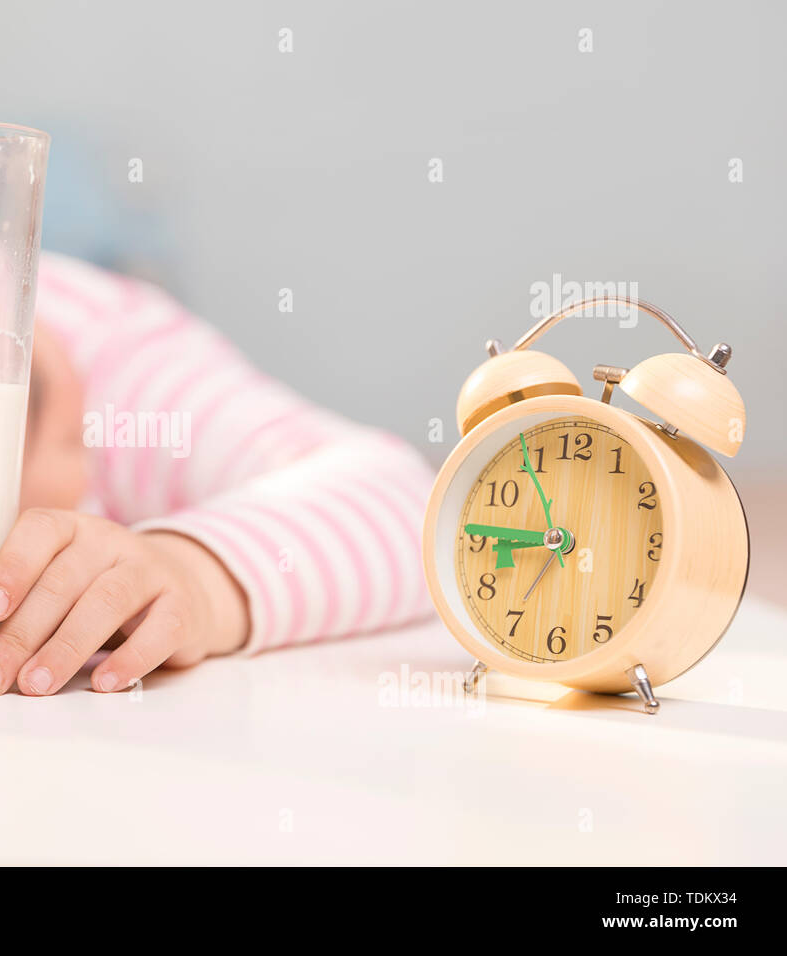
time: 8:45
